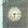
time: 6:14
